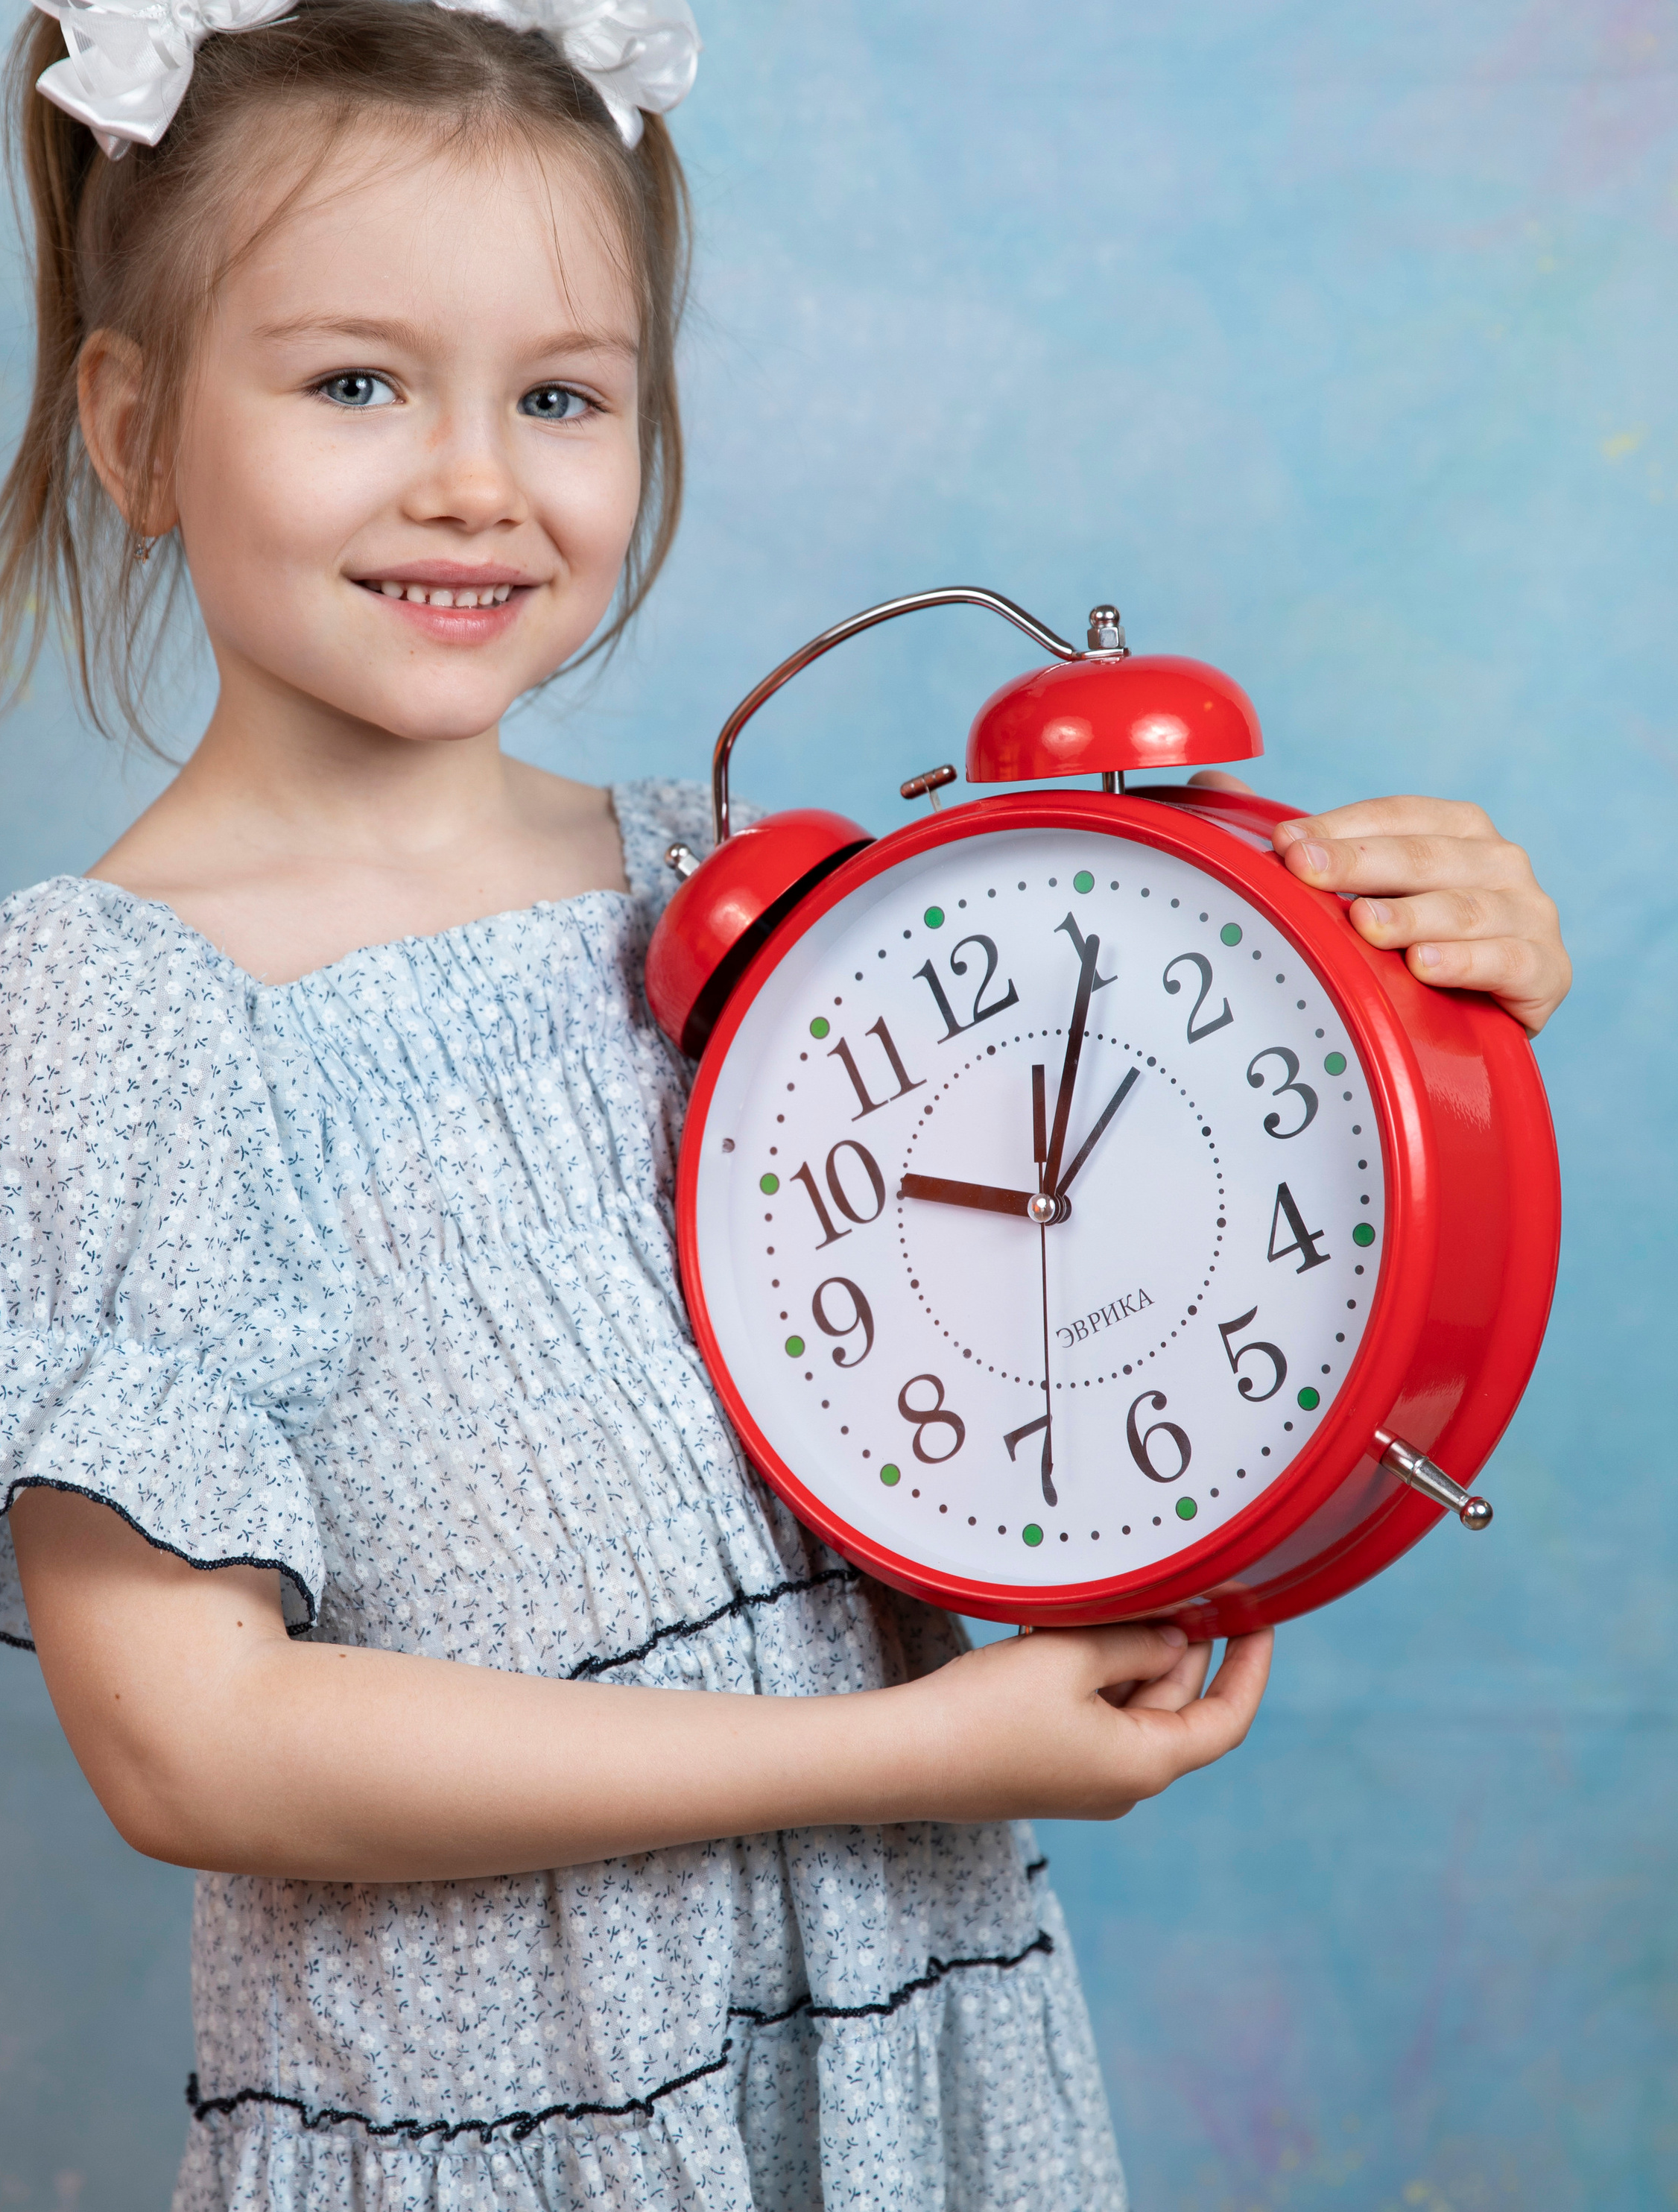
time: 10:05
